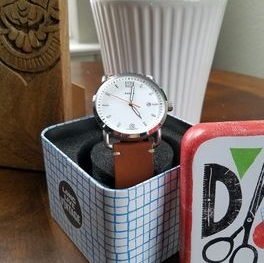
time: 5:01
